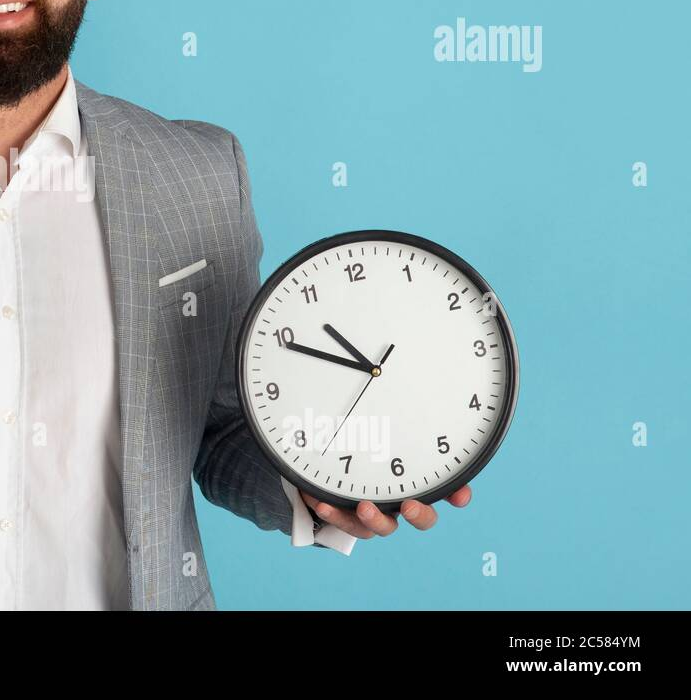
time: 10:49
